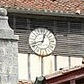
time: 12:42
